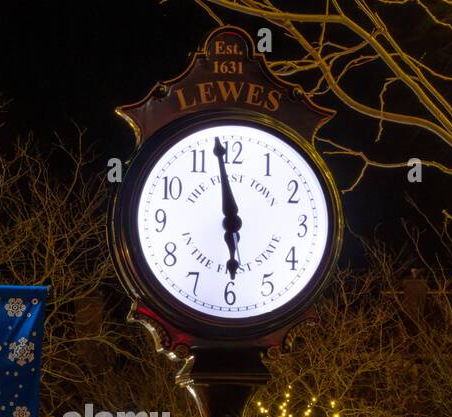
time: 5:58
